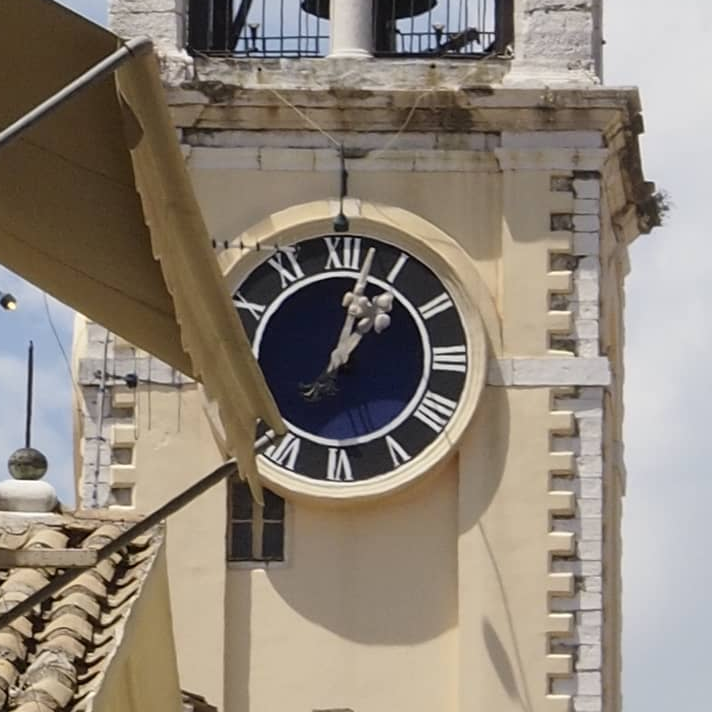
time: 1:02
